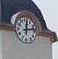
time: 12:13
